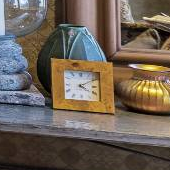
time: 4:09
